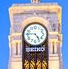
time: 4:45
